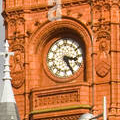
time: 3:25
